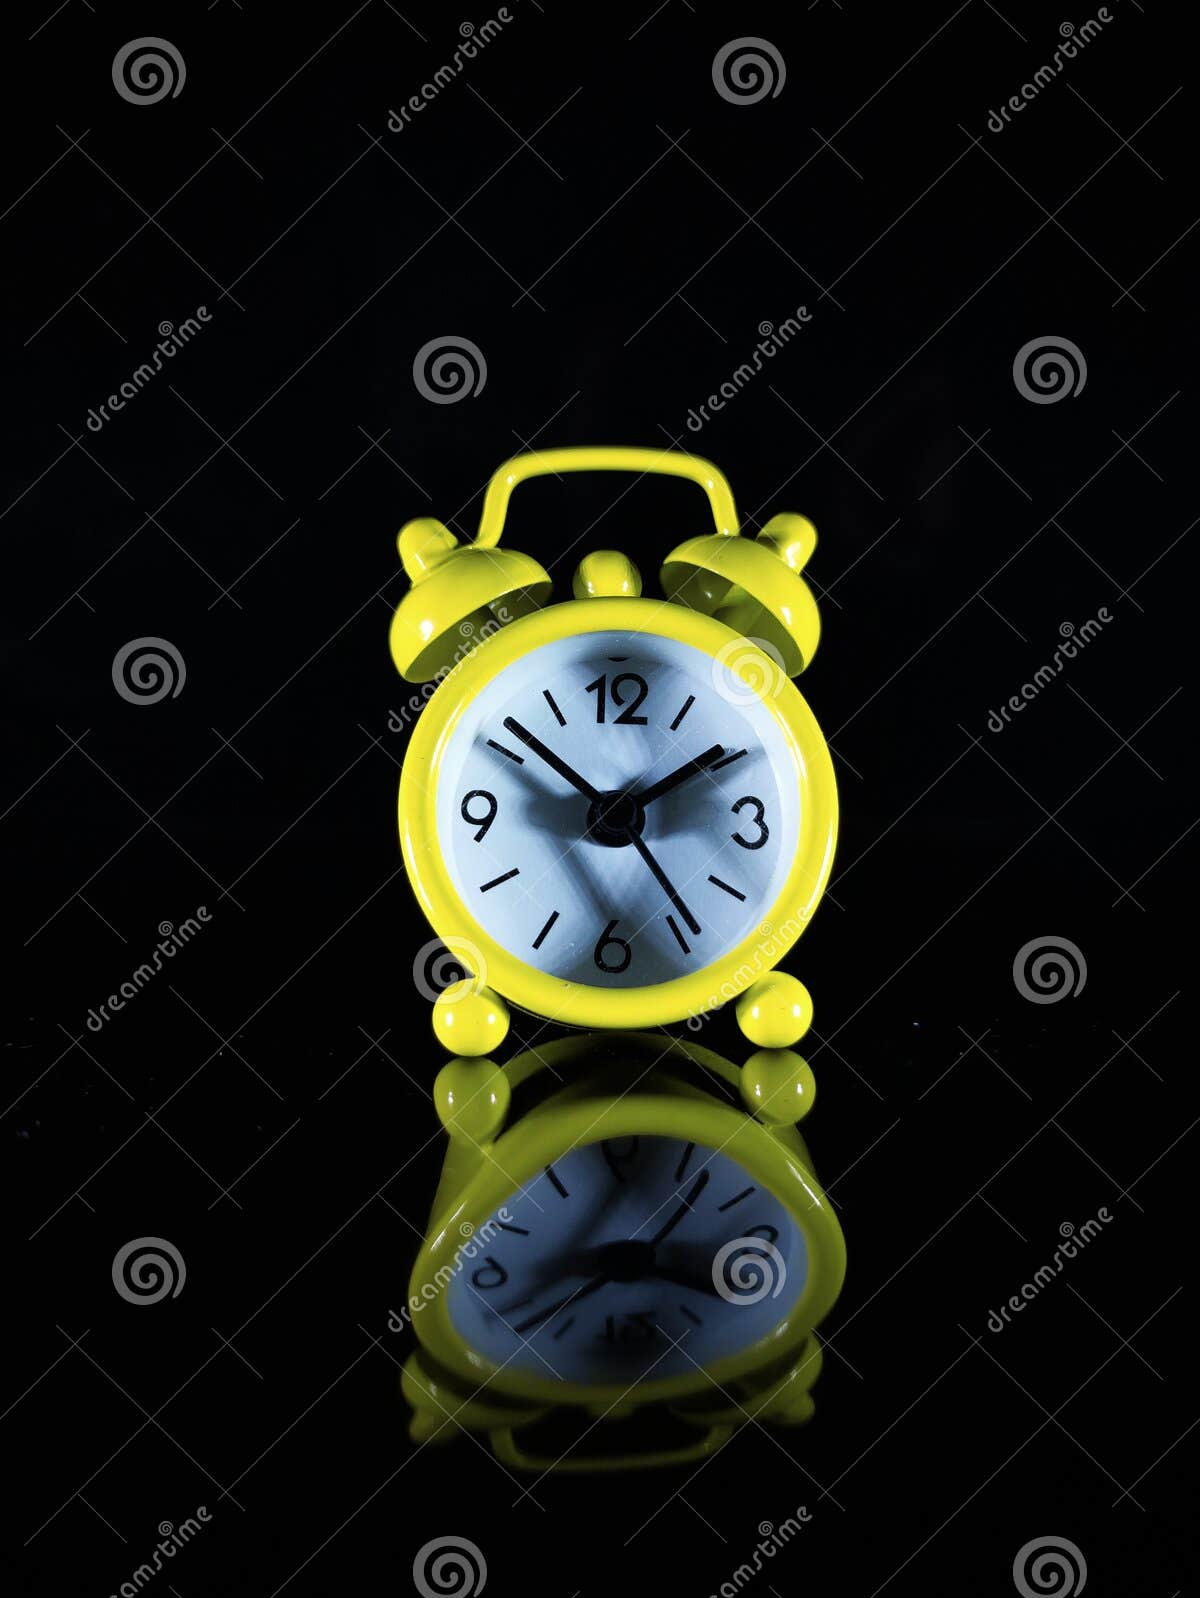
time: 1:51
